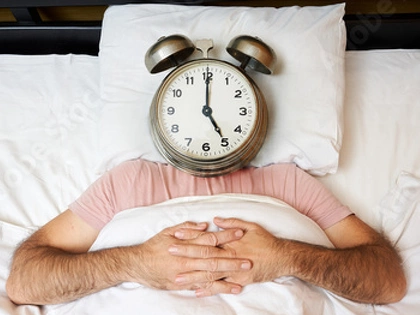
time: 5:00
